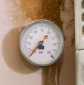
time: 6:36
